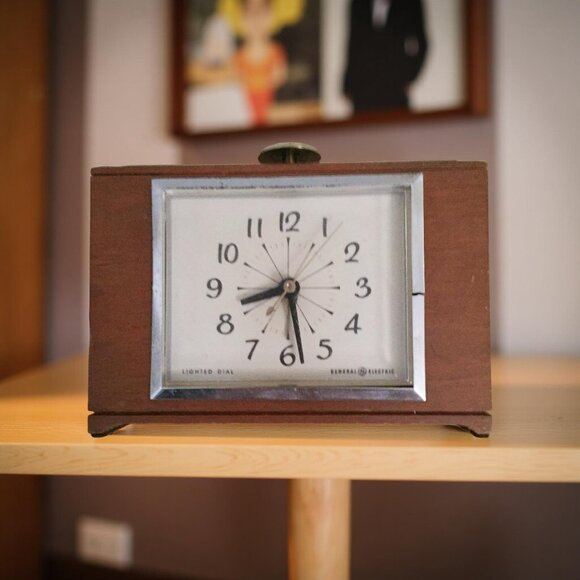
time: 8:28
